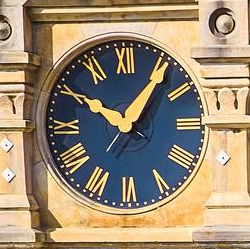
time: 10:06
